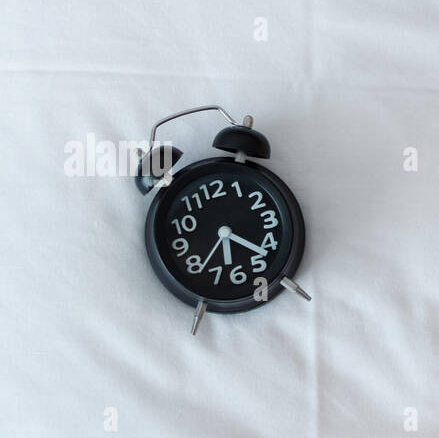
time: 6:21
